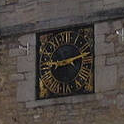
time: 9:12
